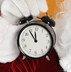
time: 11:54
